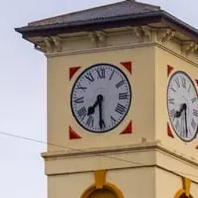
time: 7:30
